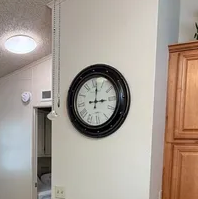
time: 3:01
